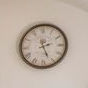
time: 2:26
